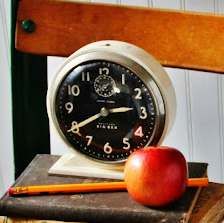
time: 2:39
